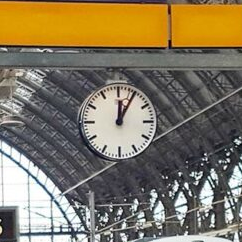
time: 12:05
